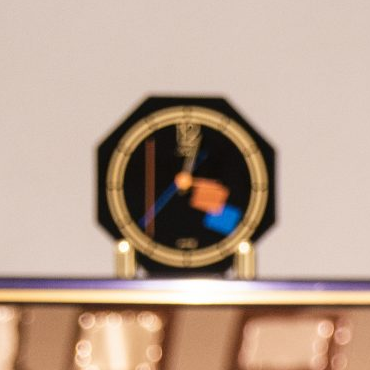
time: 12:37
